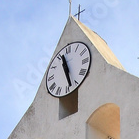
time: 11:28
